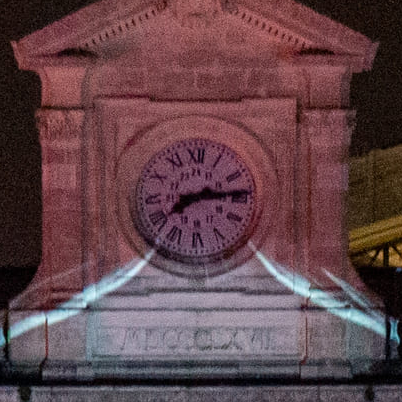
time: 8:14
